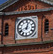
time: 12:41
